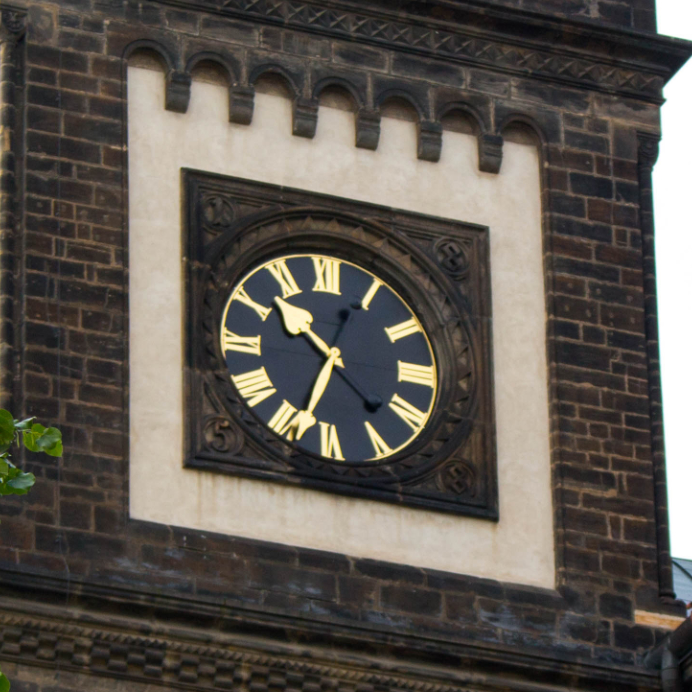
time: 10:33
